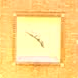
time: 4:50
